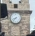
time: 8:37
